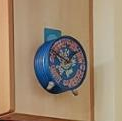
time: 1:49
